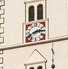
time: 2:40
